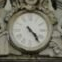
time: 4:23
